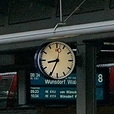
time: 8:34
